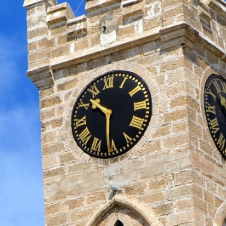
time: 10:31
